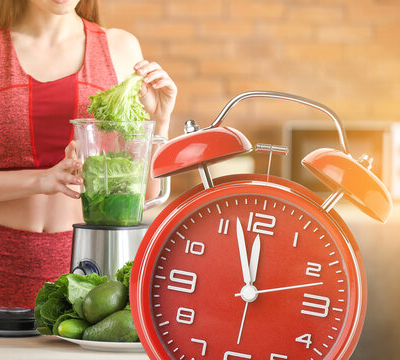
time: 11:56
